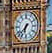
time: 6:37
